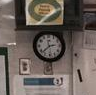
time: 2:38
